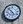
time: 4:52
